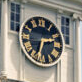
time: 2:33
